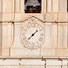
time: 1:37
